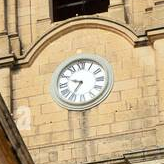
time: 9:35
